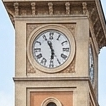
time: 5:55
